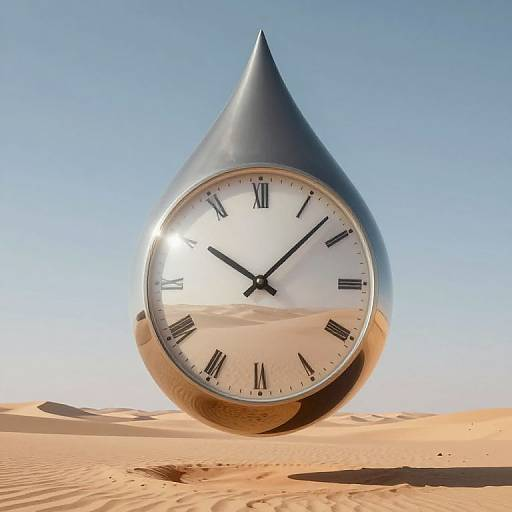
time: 10:07
